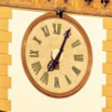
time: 7:04
